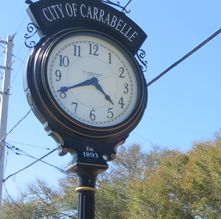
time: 4:40
